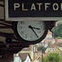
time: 3:24
